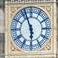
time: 5:56
